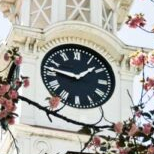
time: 1:46
